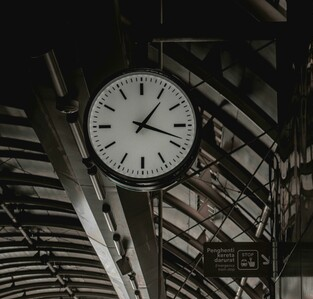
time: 1:18
